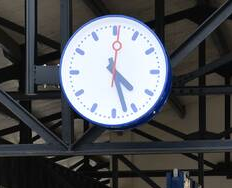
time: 4:27
